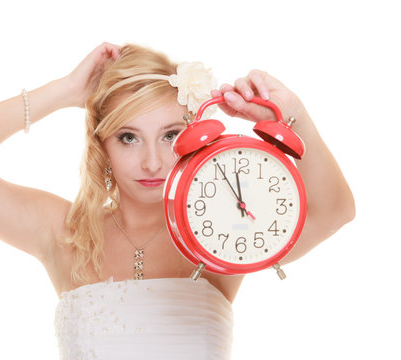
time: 11:55
